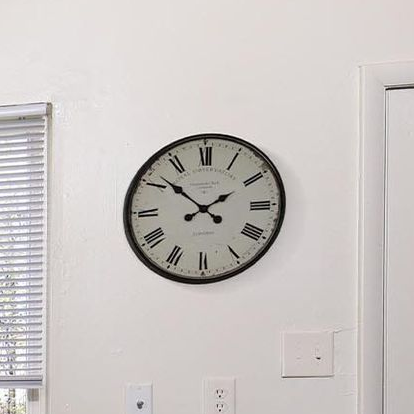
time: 1:51
